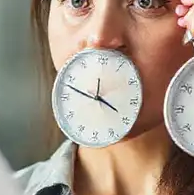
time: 3:48
